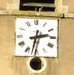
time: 2:32
